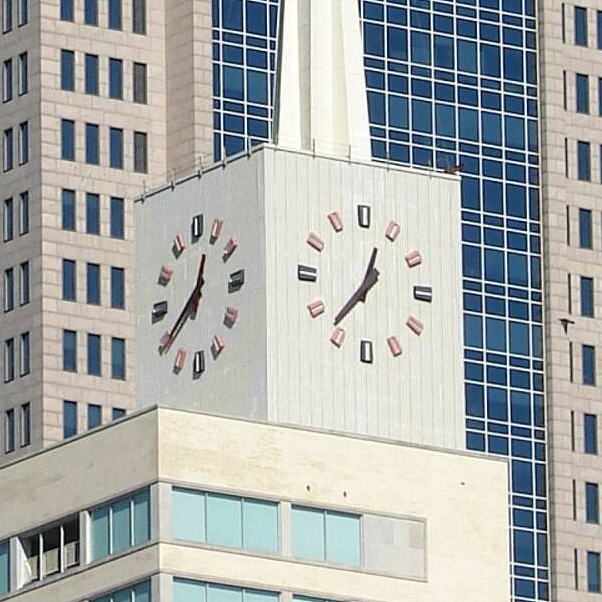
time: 12:37
